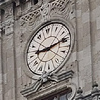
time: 9:13
